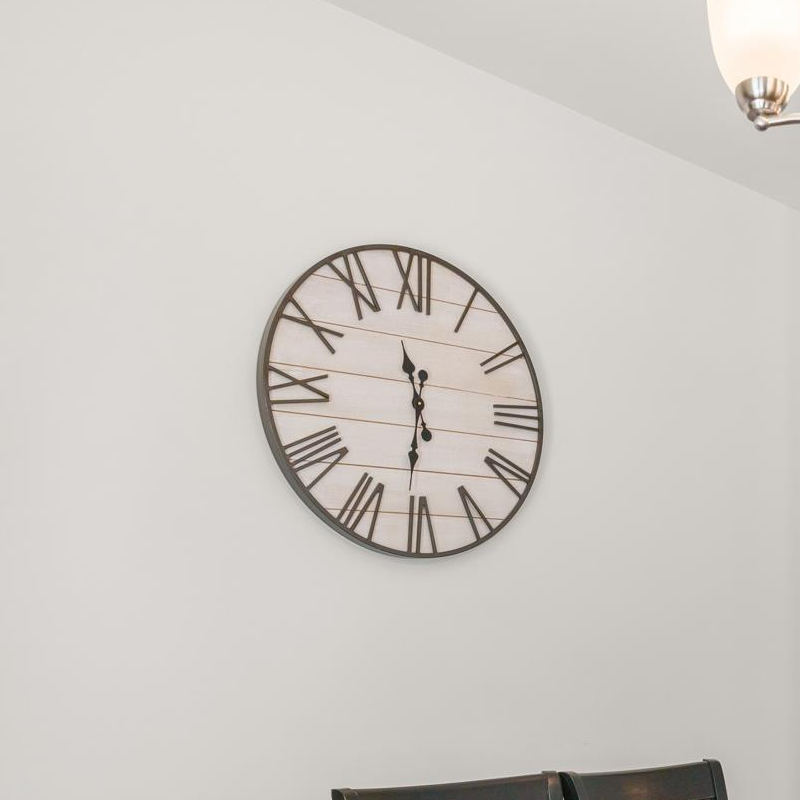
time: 11:30
